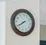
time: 7:39
